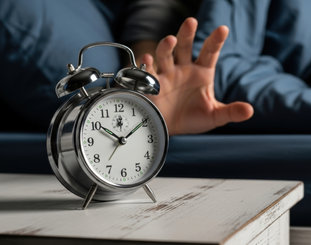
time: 10:09
